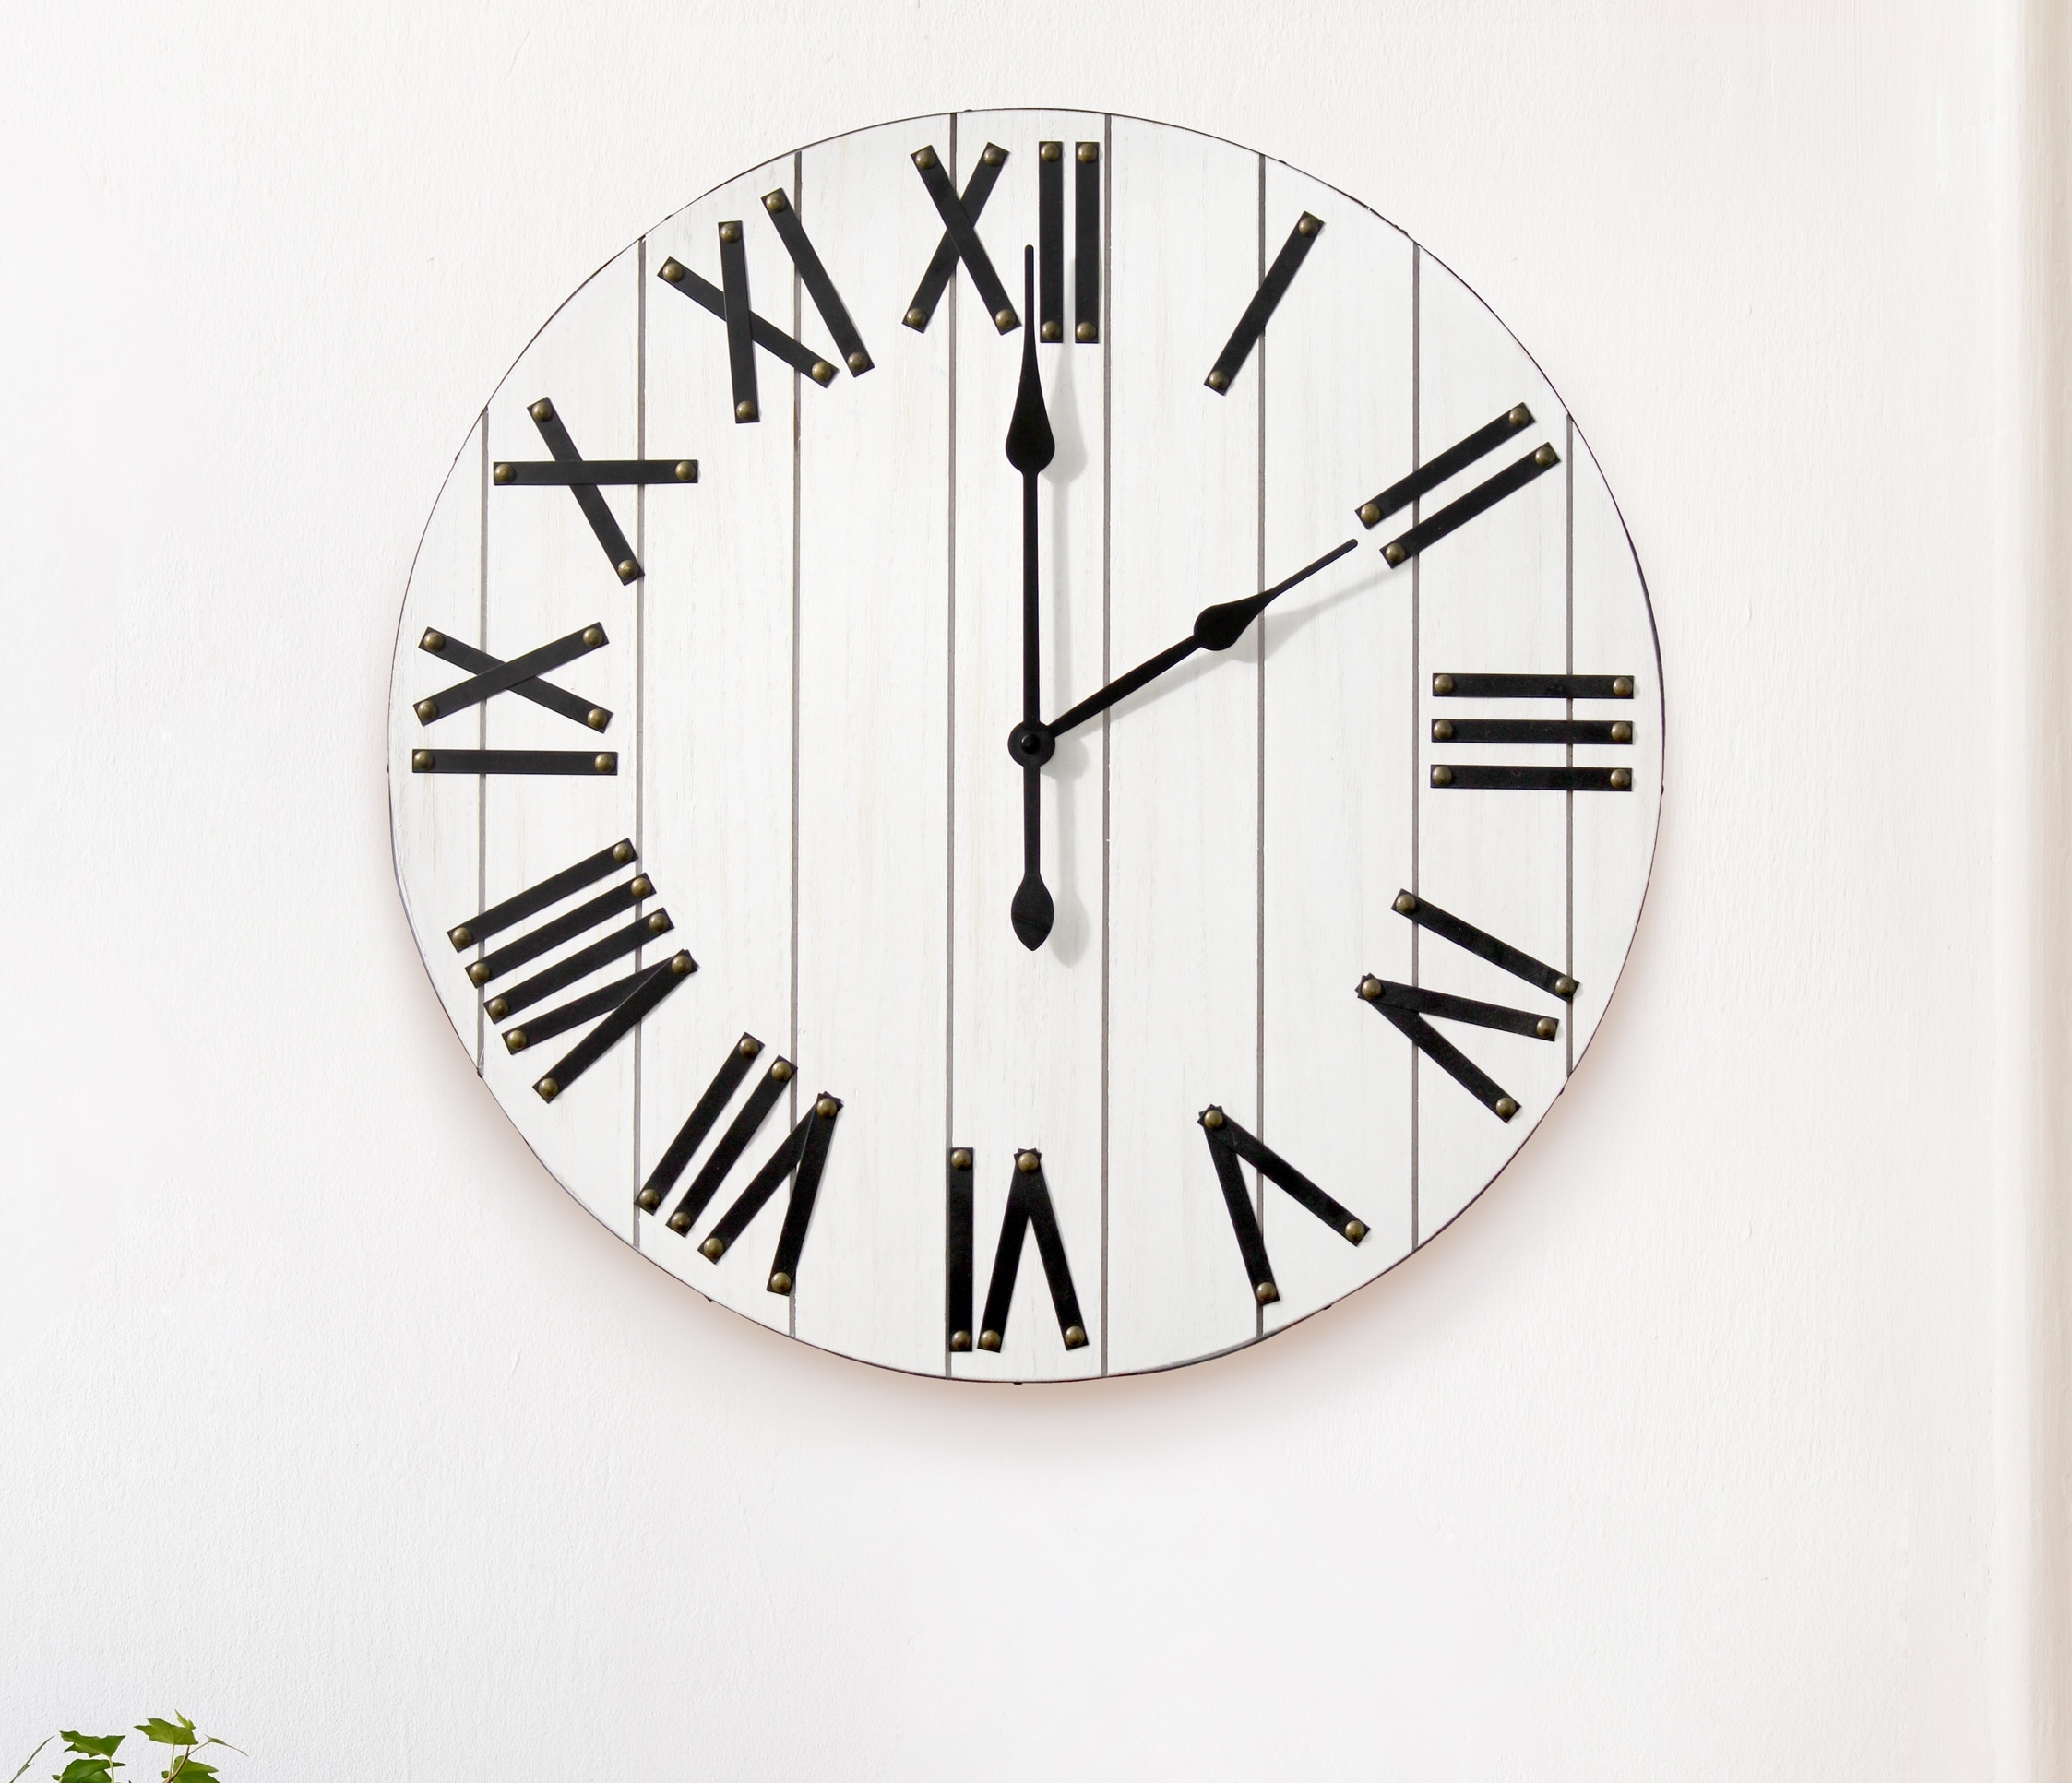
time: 2:00
